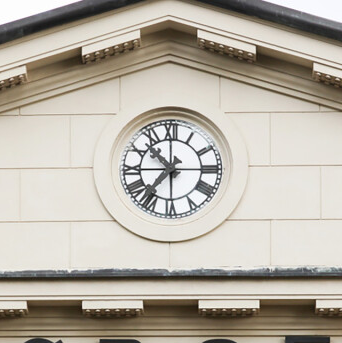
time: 10:36
